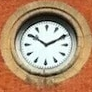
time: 10:10
